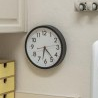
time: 6:23
